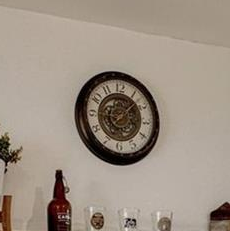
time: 7:07
